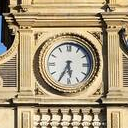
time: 5:34
